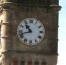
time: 10:42
